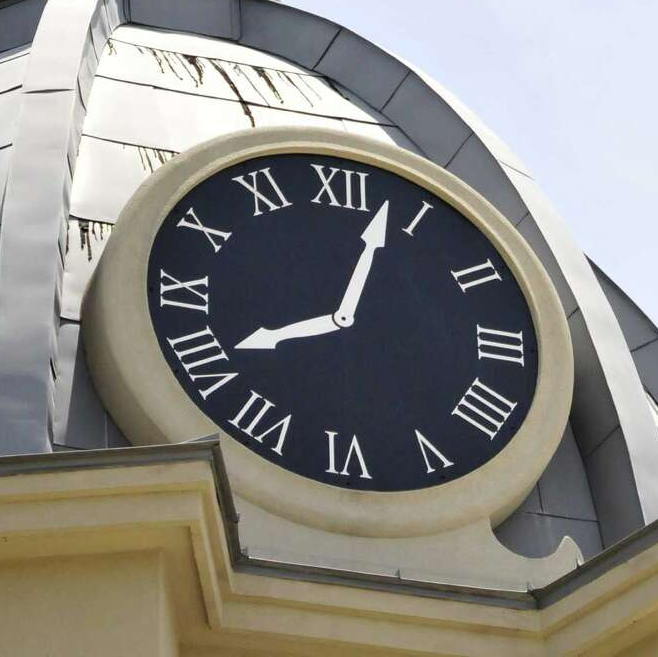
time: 8:03
